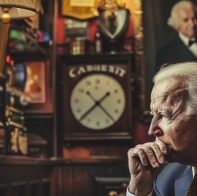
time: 1:37
